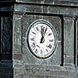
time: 12:04
